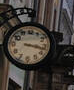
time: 3:17
